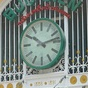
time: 10:12
